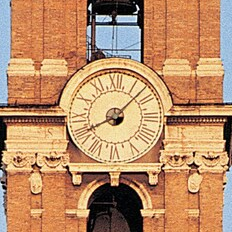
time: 8:07
